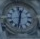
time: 12:32
